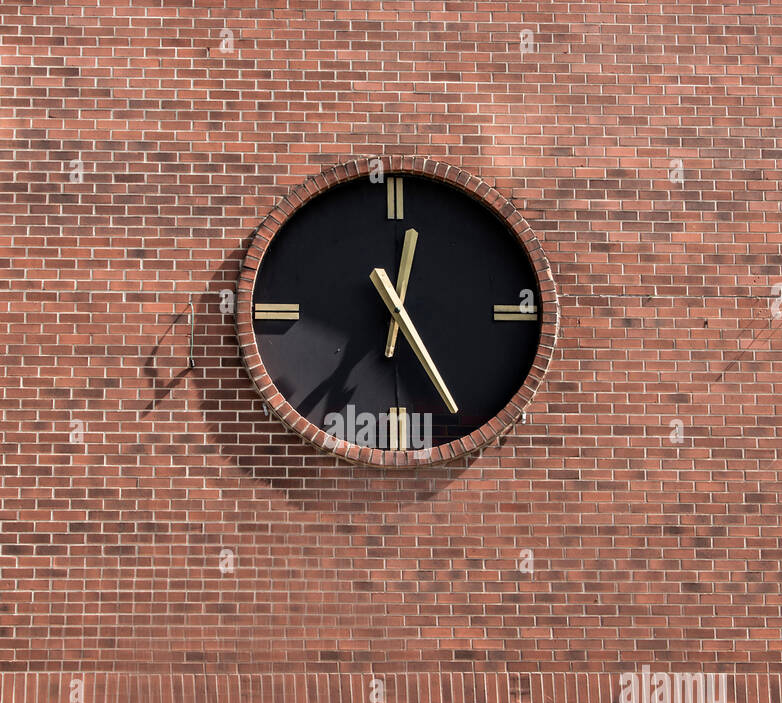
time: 12:24
